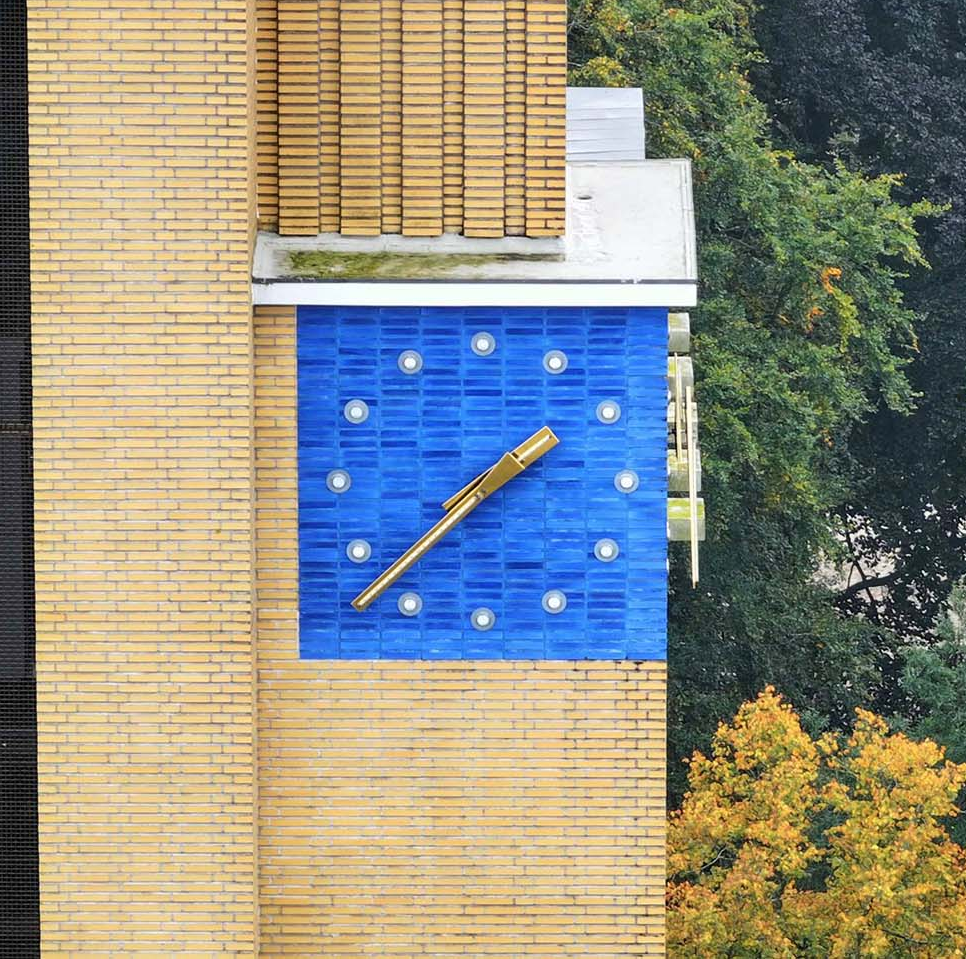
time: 1:37
